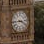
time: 3:43
